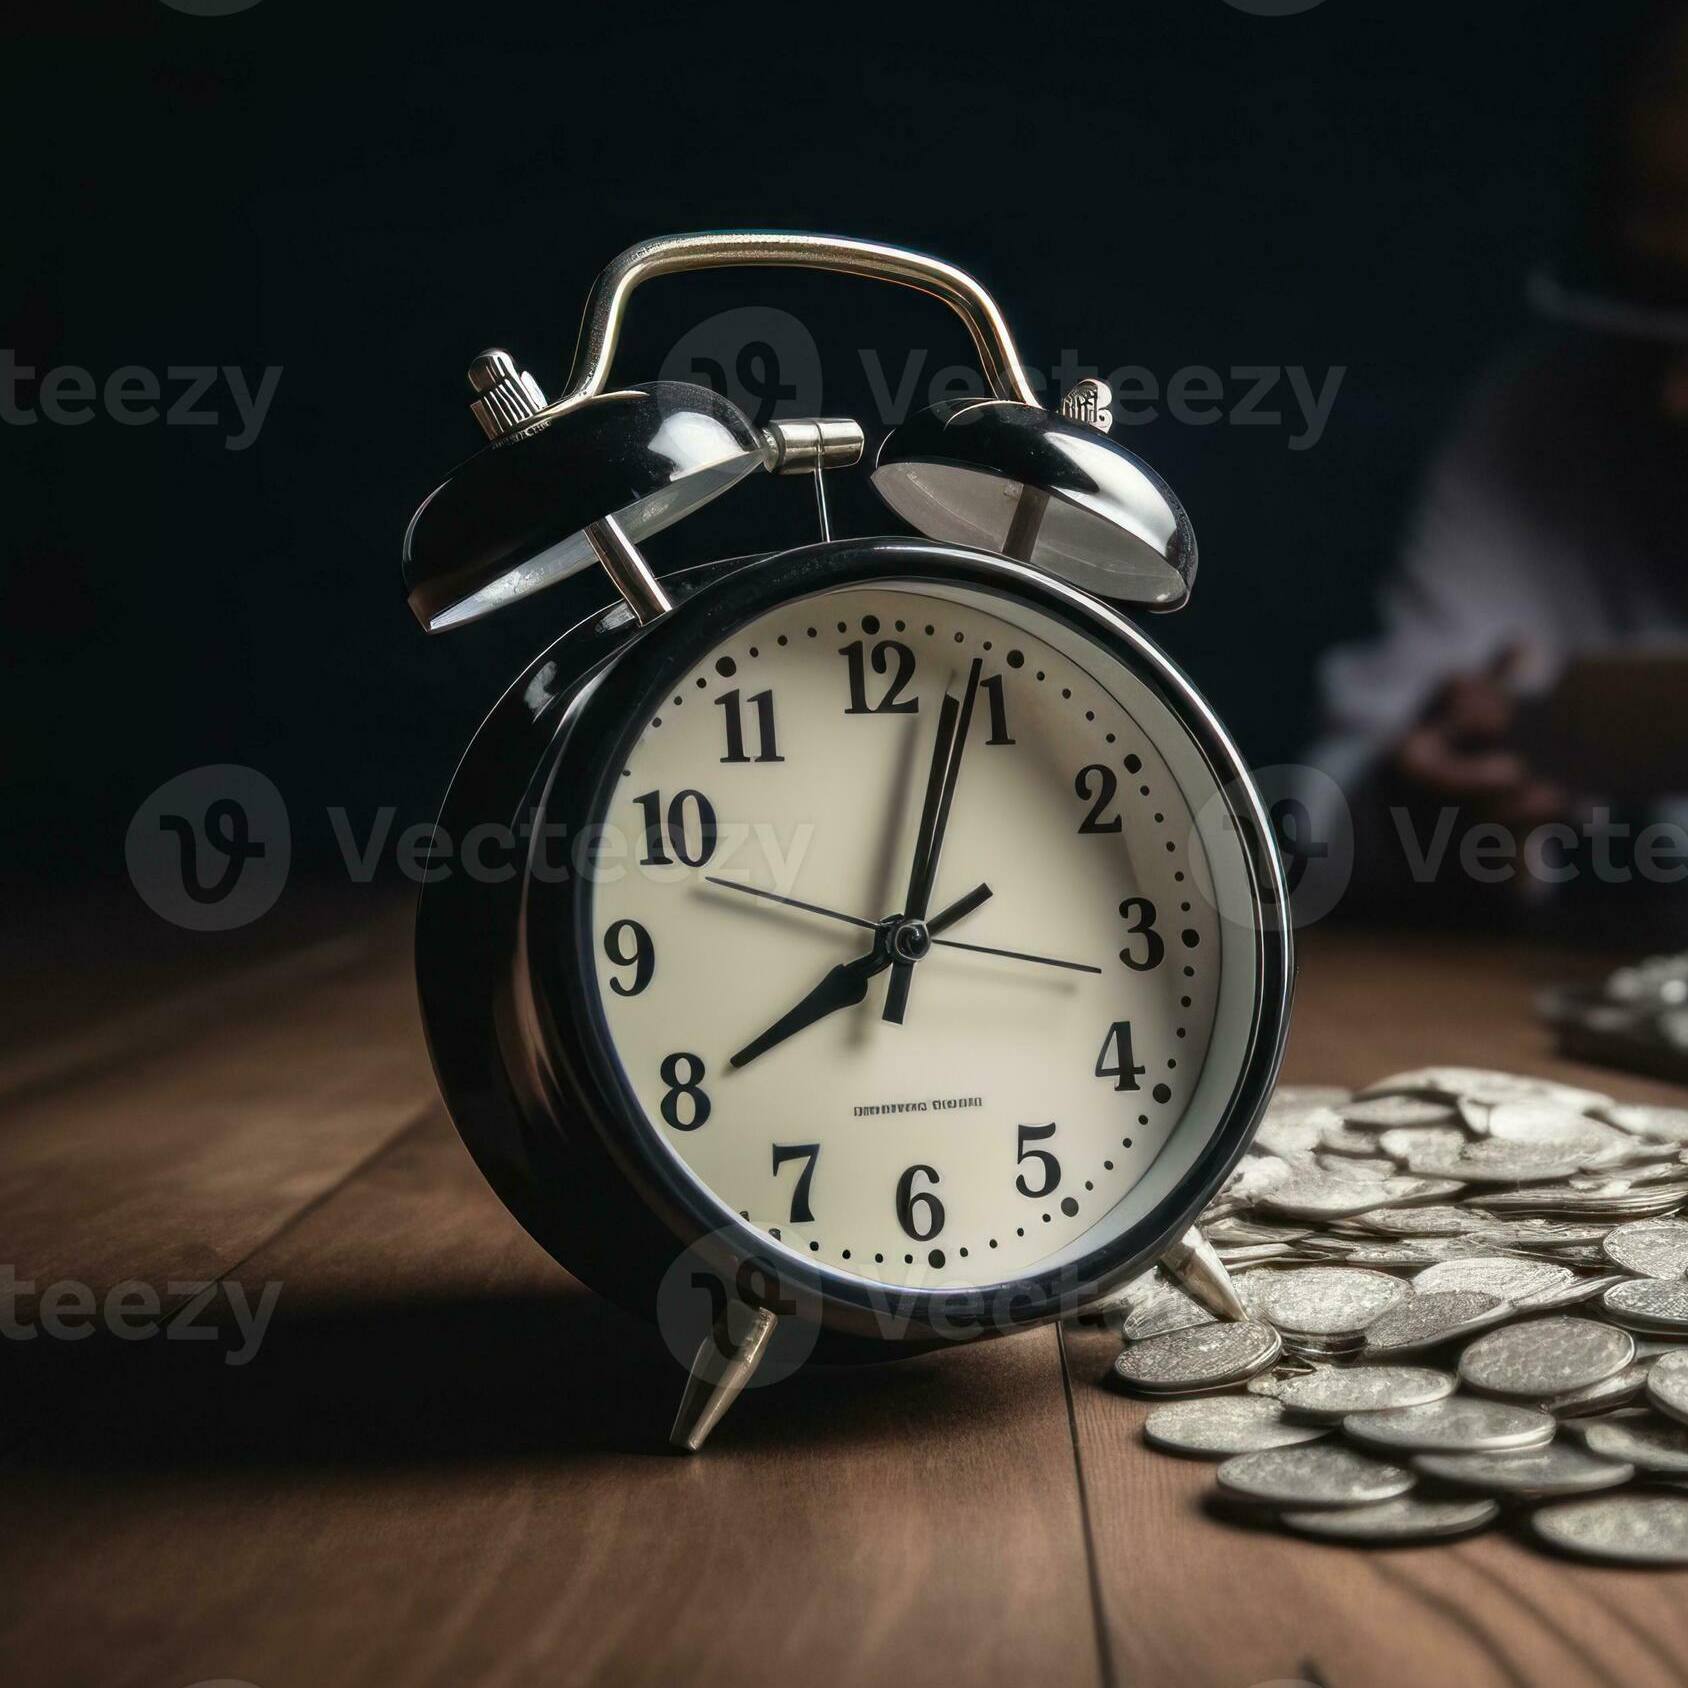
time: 8:03
